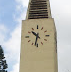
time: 10:32
